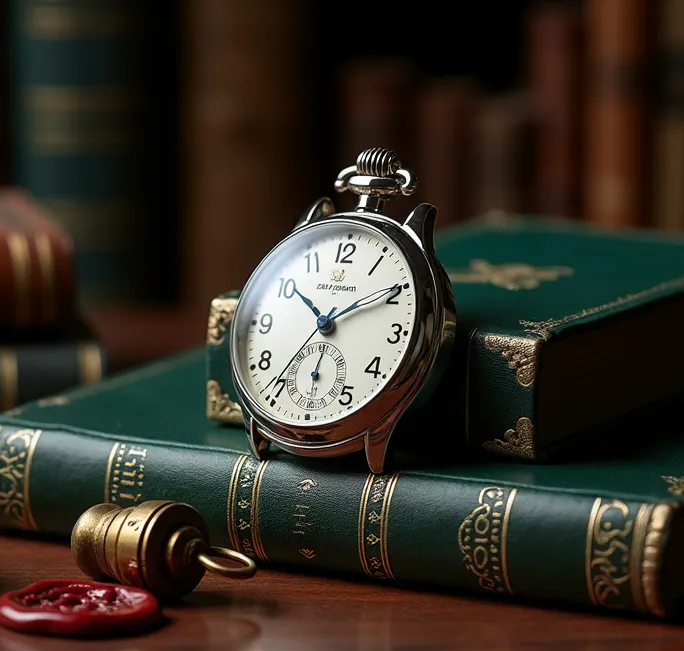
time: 10:10
